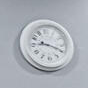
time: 9:18
